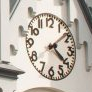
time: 4:08
